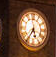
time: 5:35
